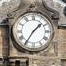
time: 1:35
